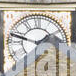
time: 1:47
